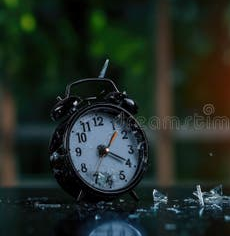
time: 1:19
